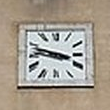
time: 3:47
